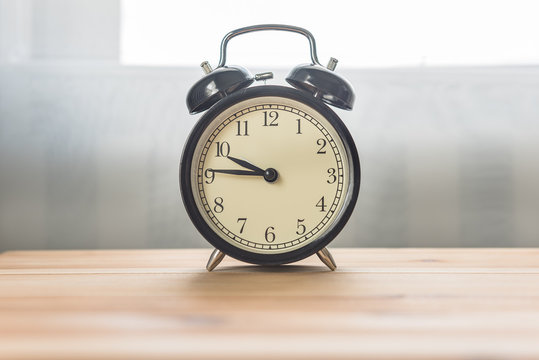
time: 9:45
